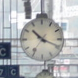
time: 10:18
